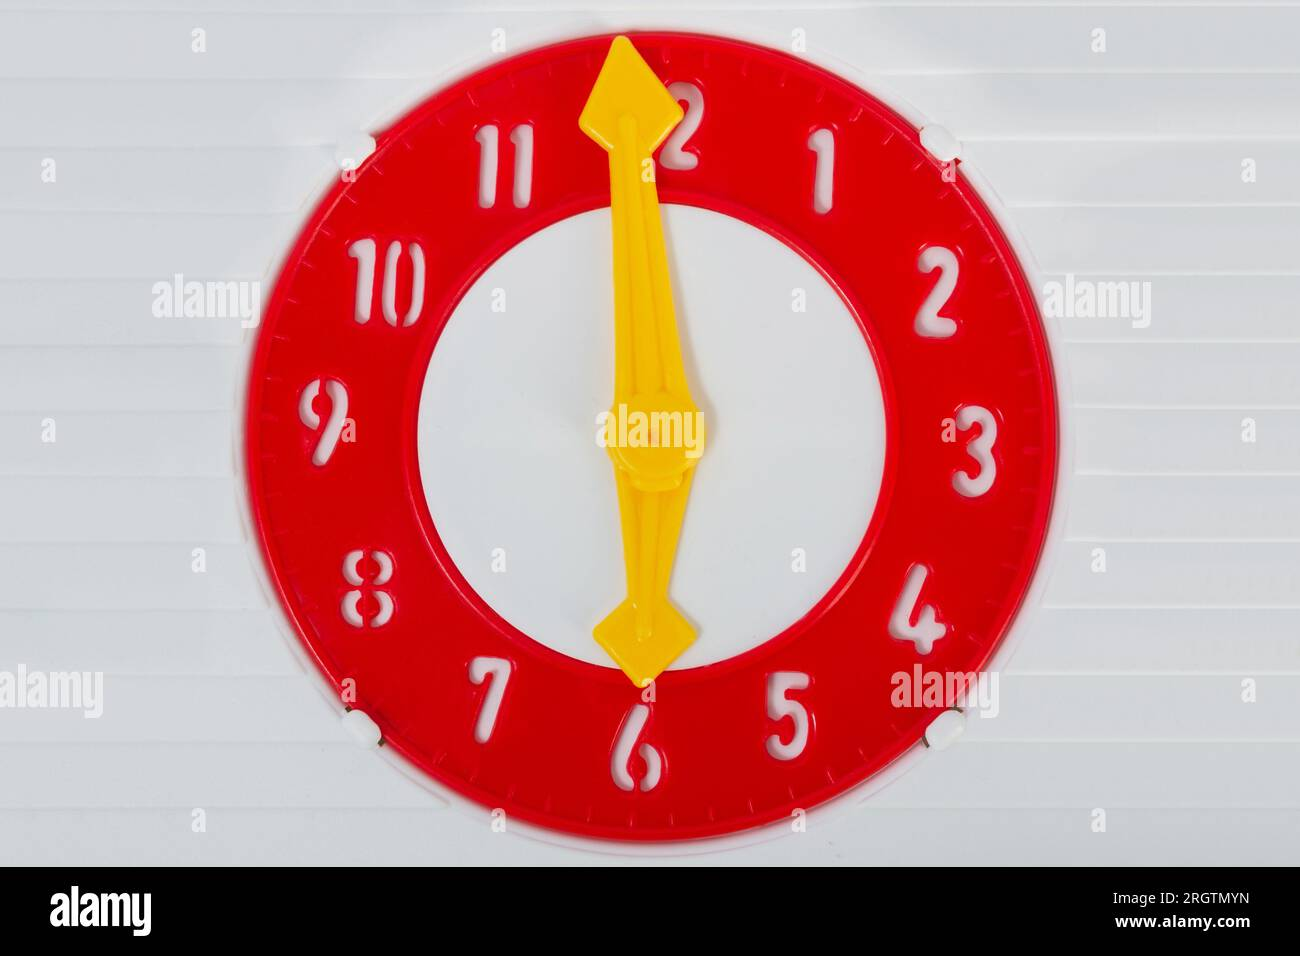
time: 5:59
